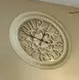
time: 12:47
